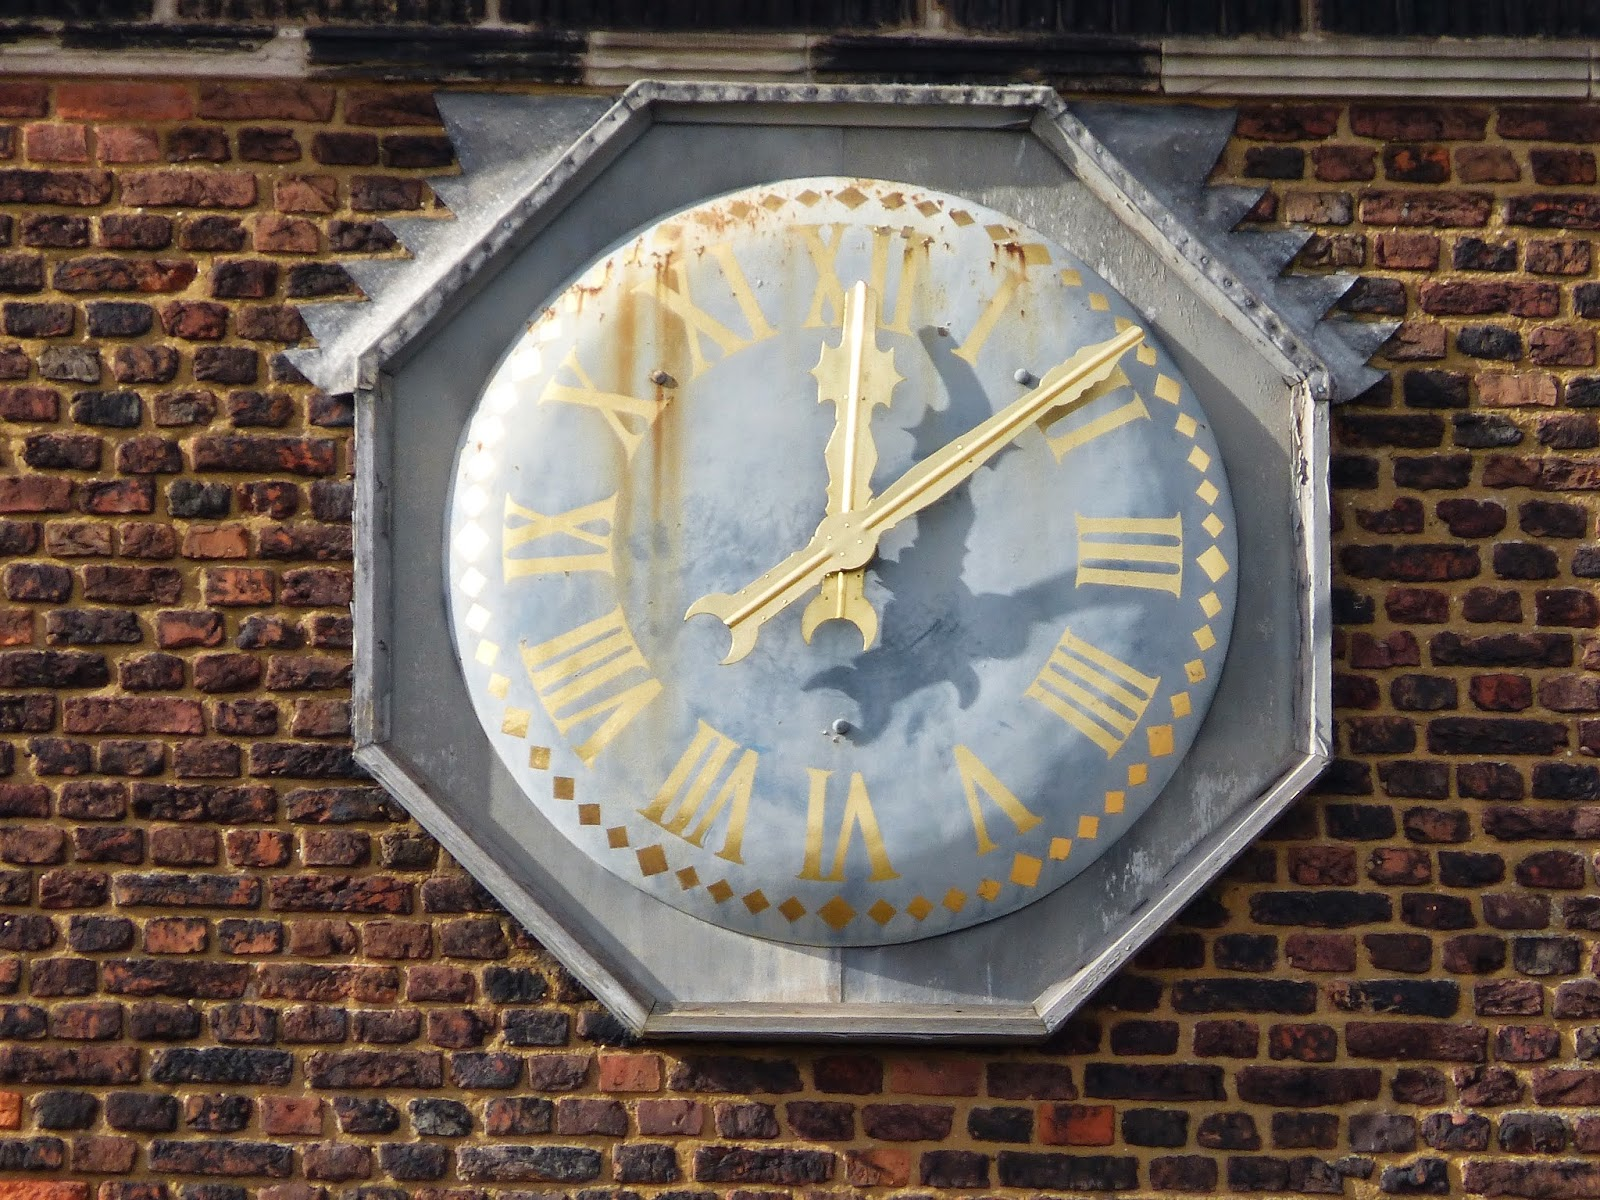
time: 12:08
